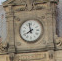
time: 7:57
